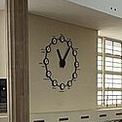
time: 11:06
